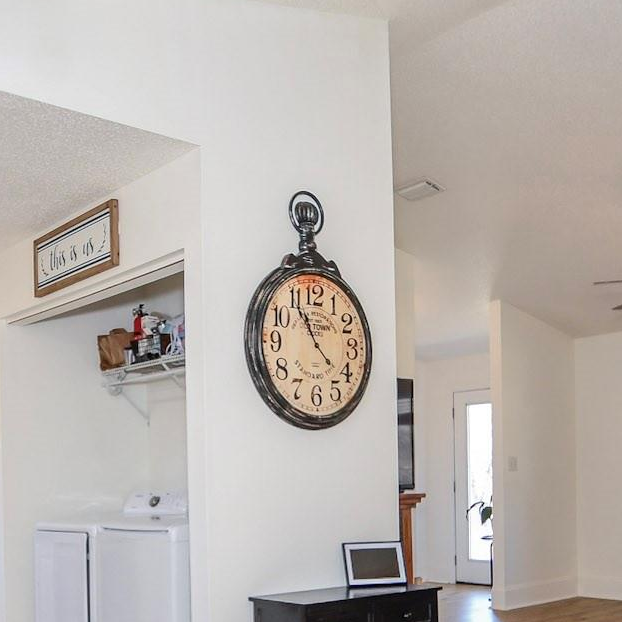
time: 10:54
